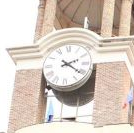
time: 2:21
